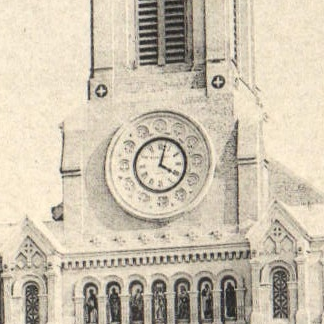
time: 4:02
